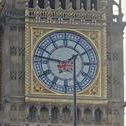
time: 1:46
